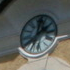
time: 2:02
